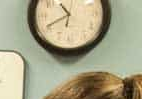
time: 10:40
